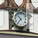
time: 10:36
